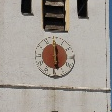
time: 6:00
